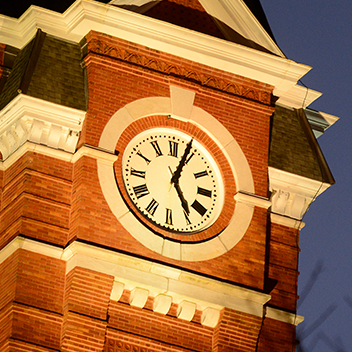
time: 5:03
